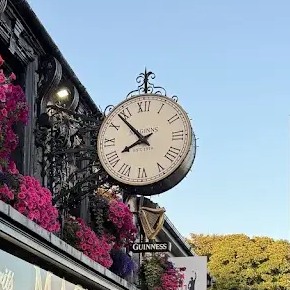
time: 7:53
